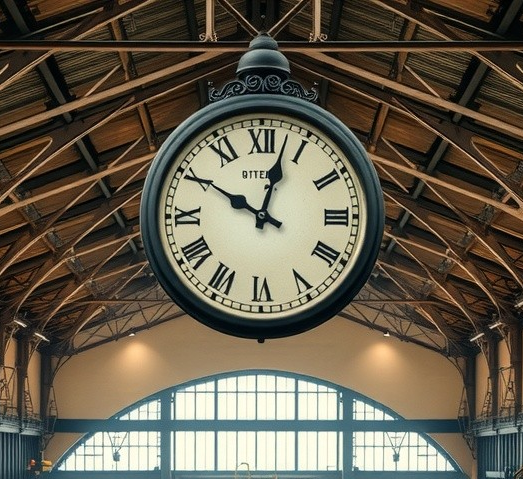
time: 10:02
